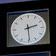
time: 2:29
